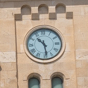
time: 10:28
